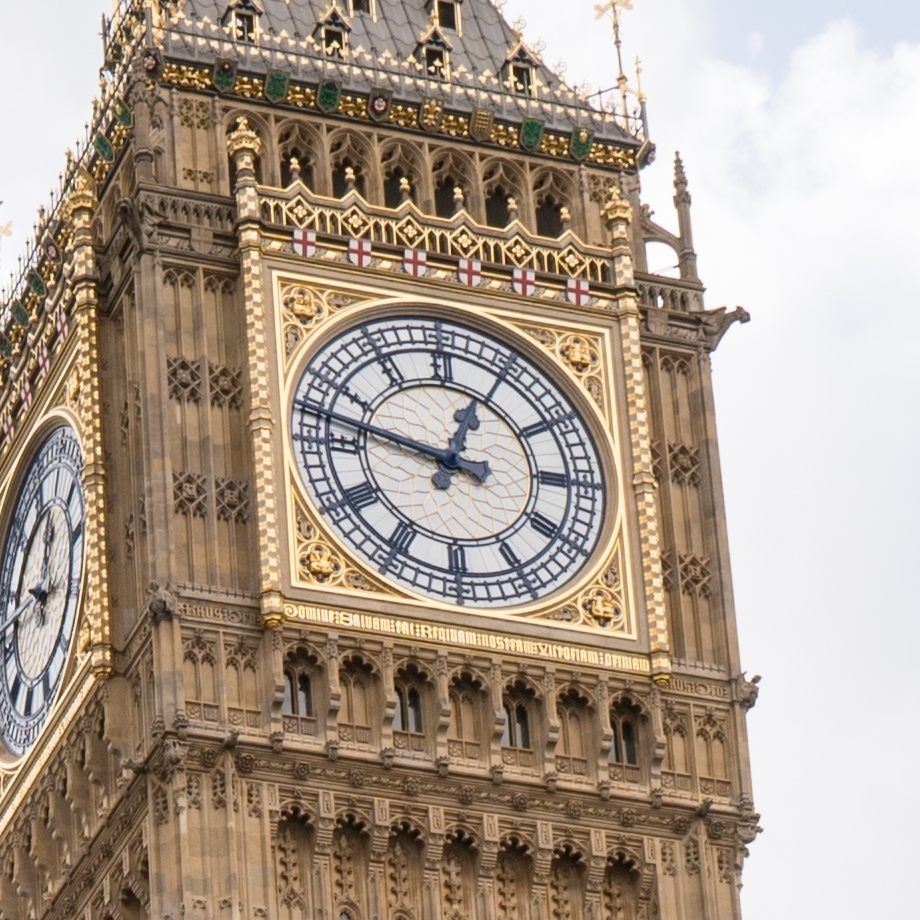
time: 12:47
